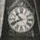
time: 10:41
